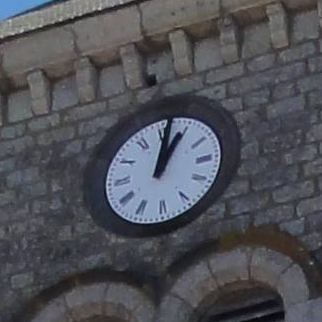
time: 1:02
